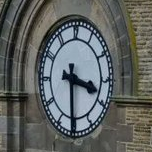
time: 3:30
